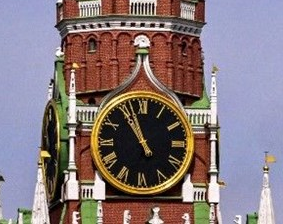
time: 10:56
